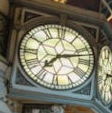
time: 7:12
